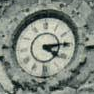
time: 4:14
